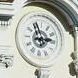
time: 2:56
